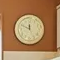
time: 11:49
